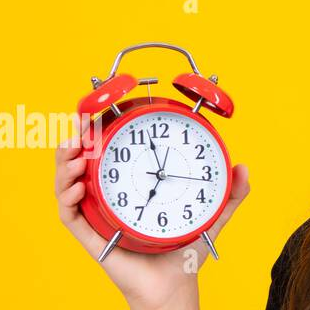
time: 6:57
